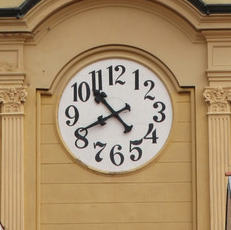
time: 10:41
